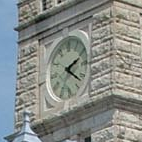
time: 2:21
